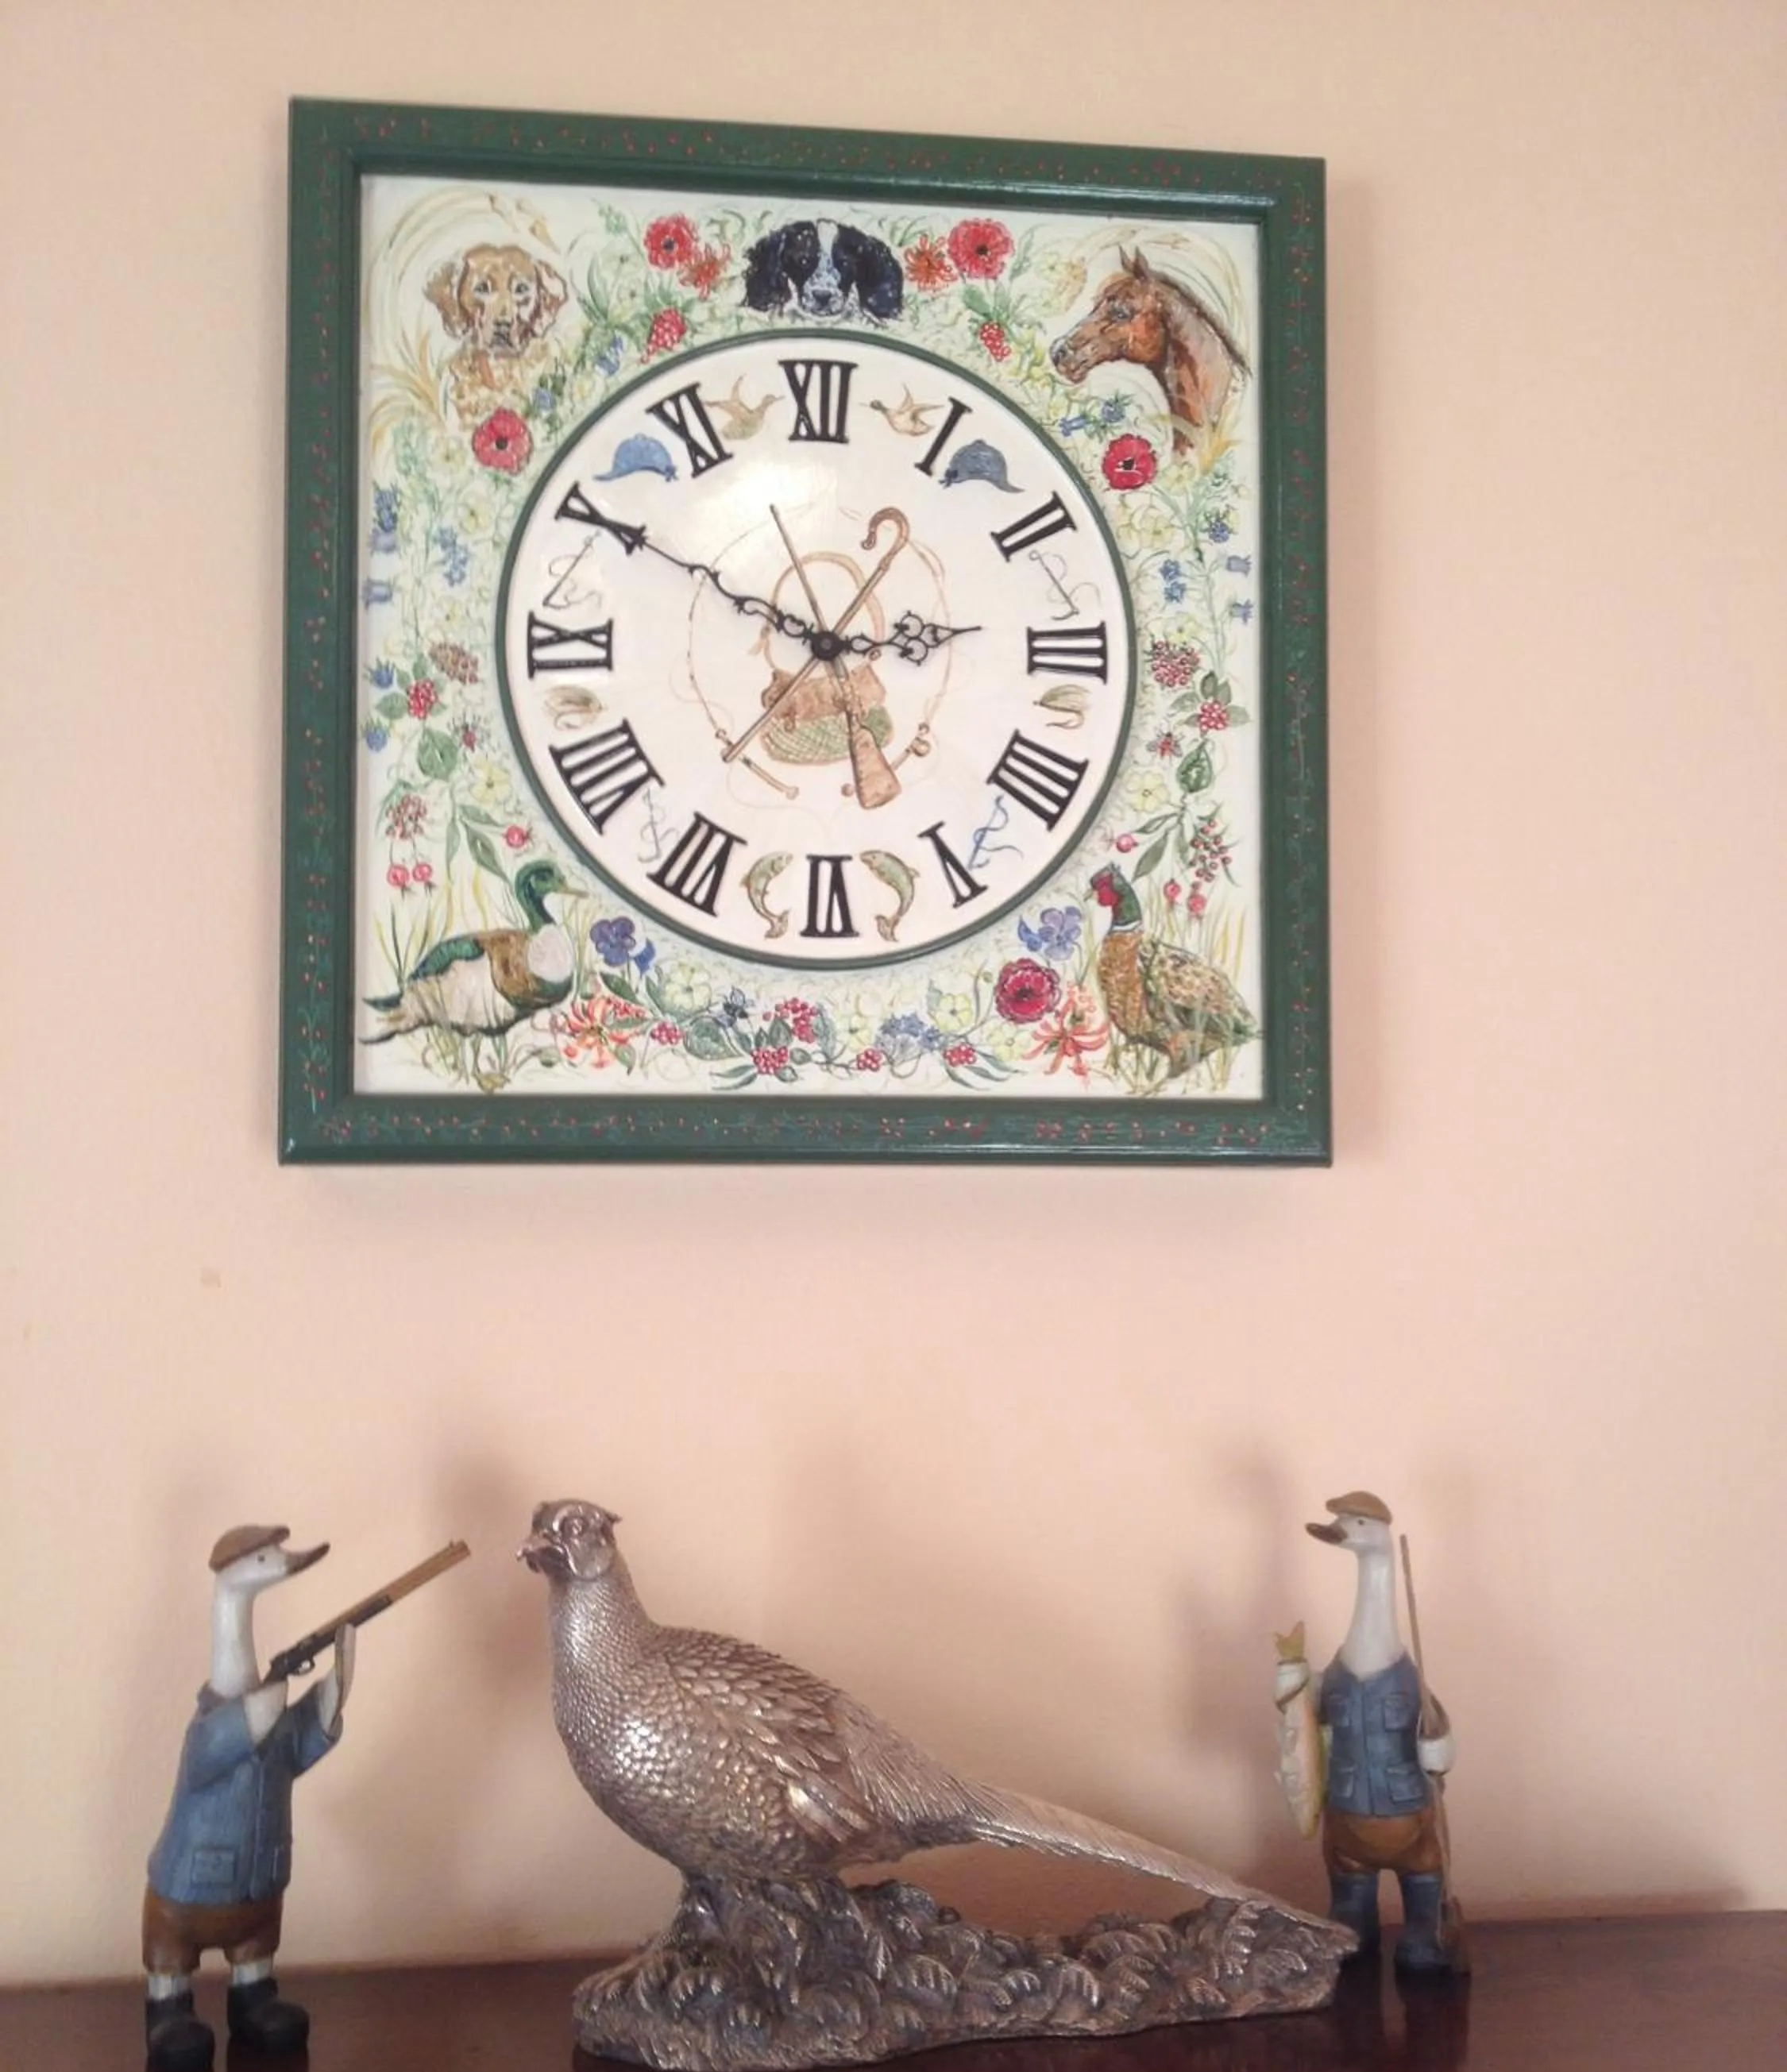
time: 2:49
